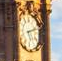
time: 5:12
